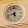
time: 5:42
